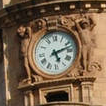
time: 5:12
